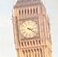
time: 3:21
